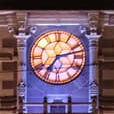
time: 7:12
